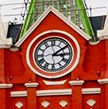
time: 3:09
